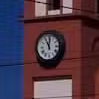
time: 11:00
